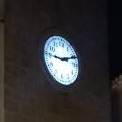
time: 9:11
